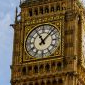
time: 11:07
